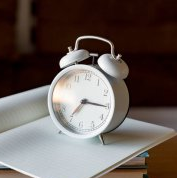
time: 7:15
